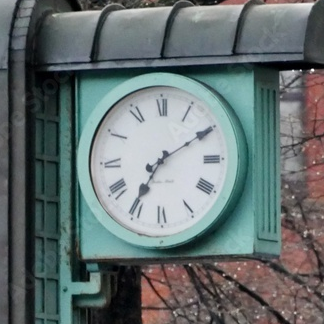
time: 7:09
